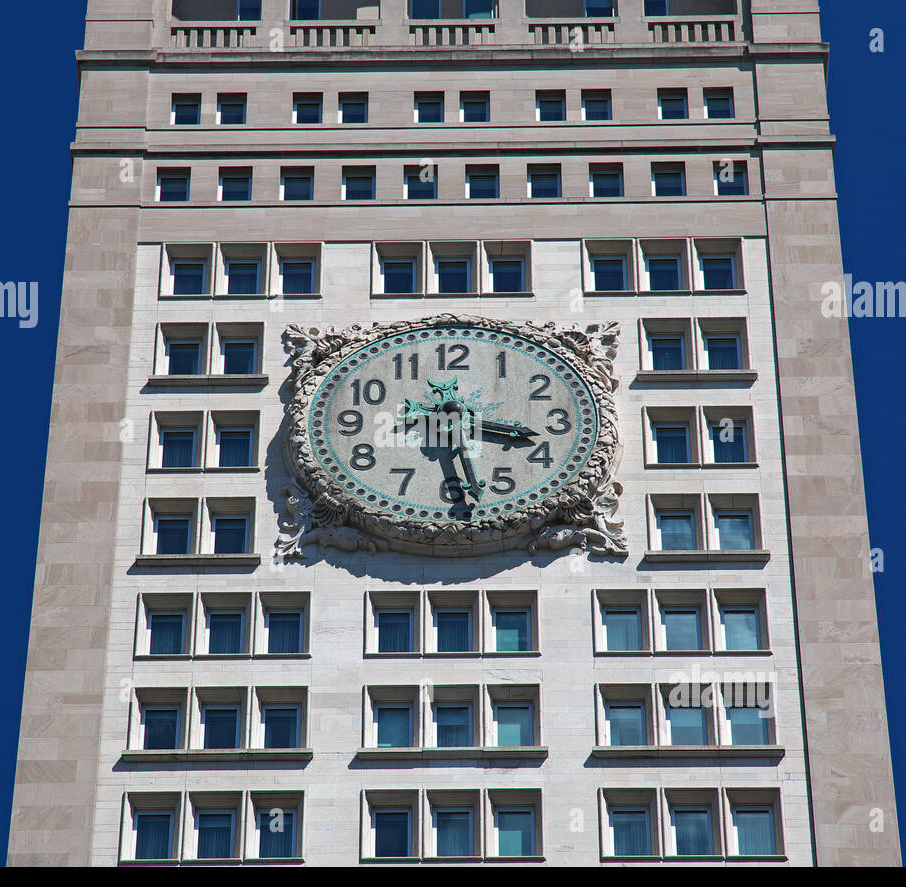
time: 3:28
